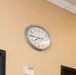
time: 7:45
